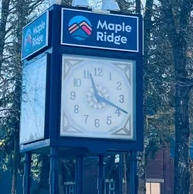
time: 11:18
